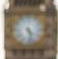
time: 4:27
